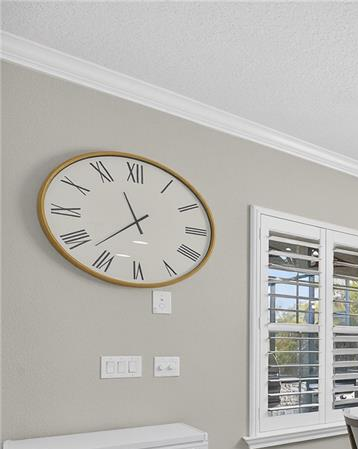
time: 11:37
